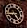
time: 4:44
